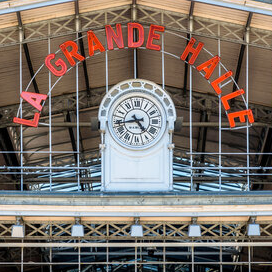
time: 4:42
